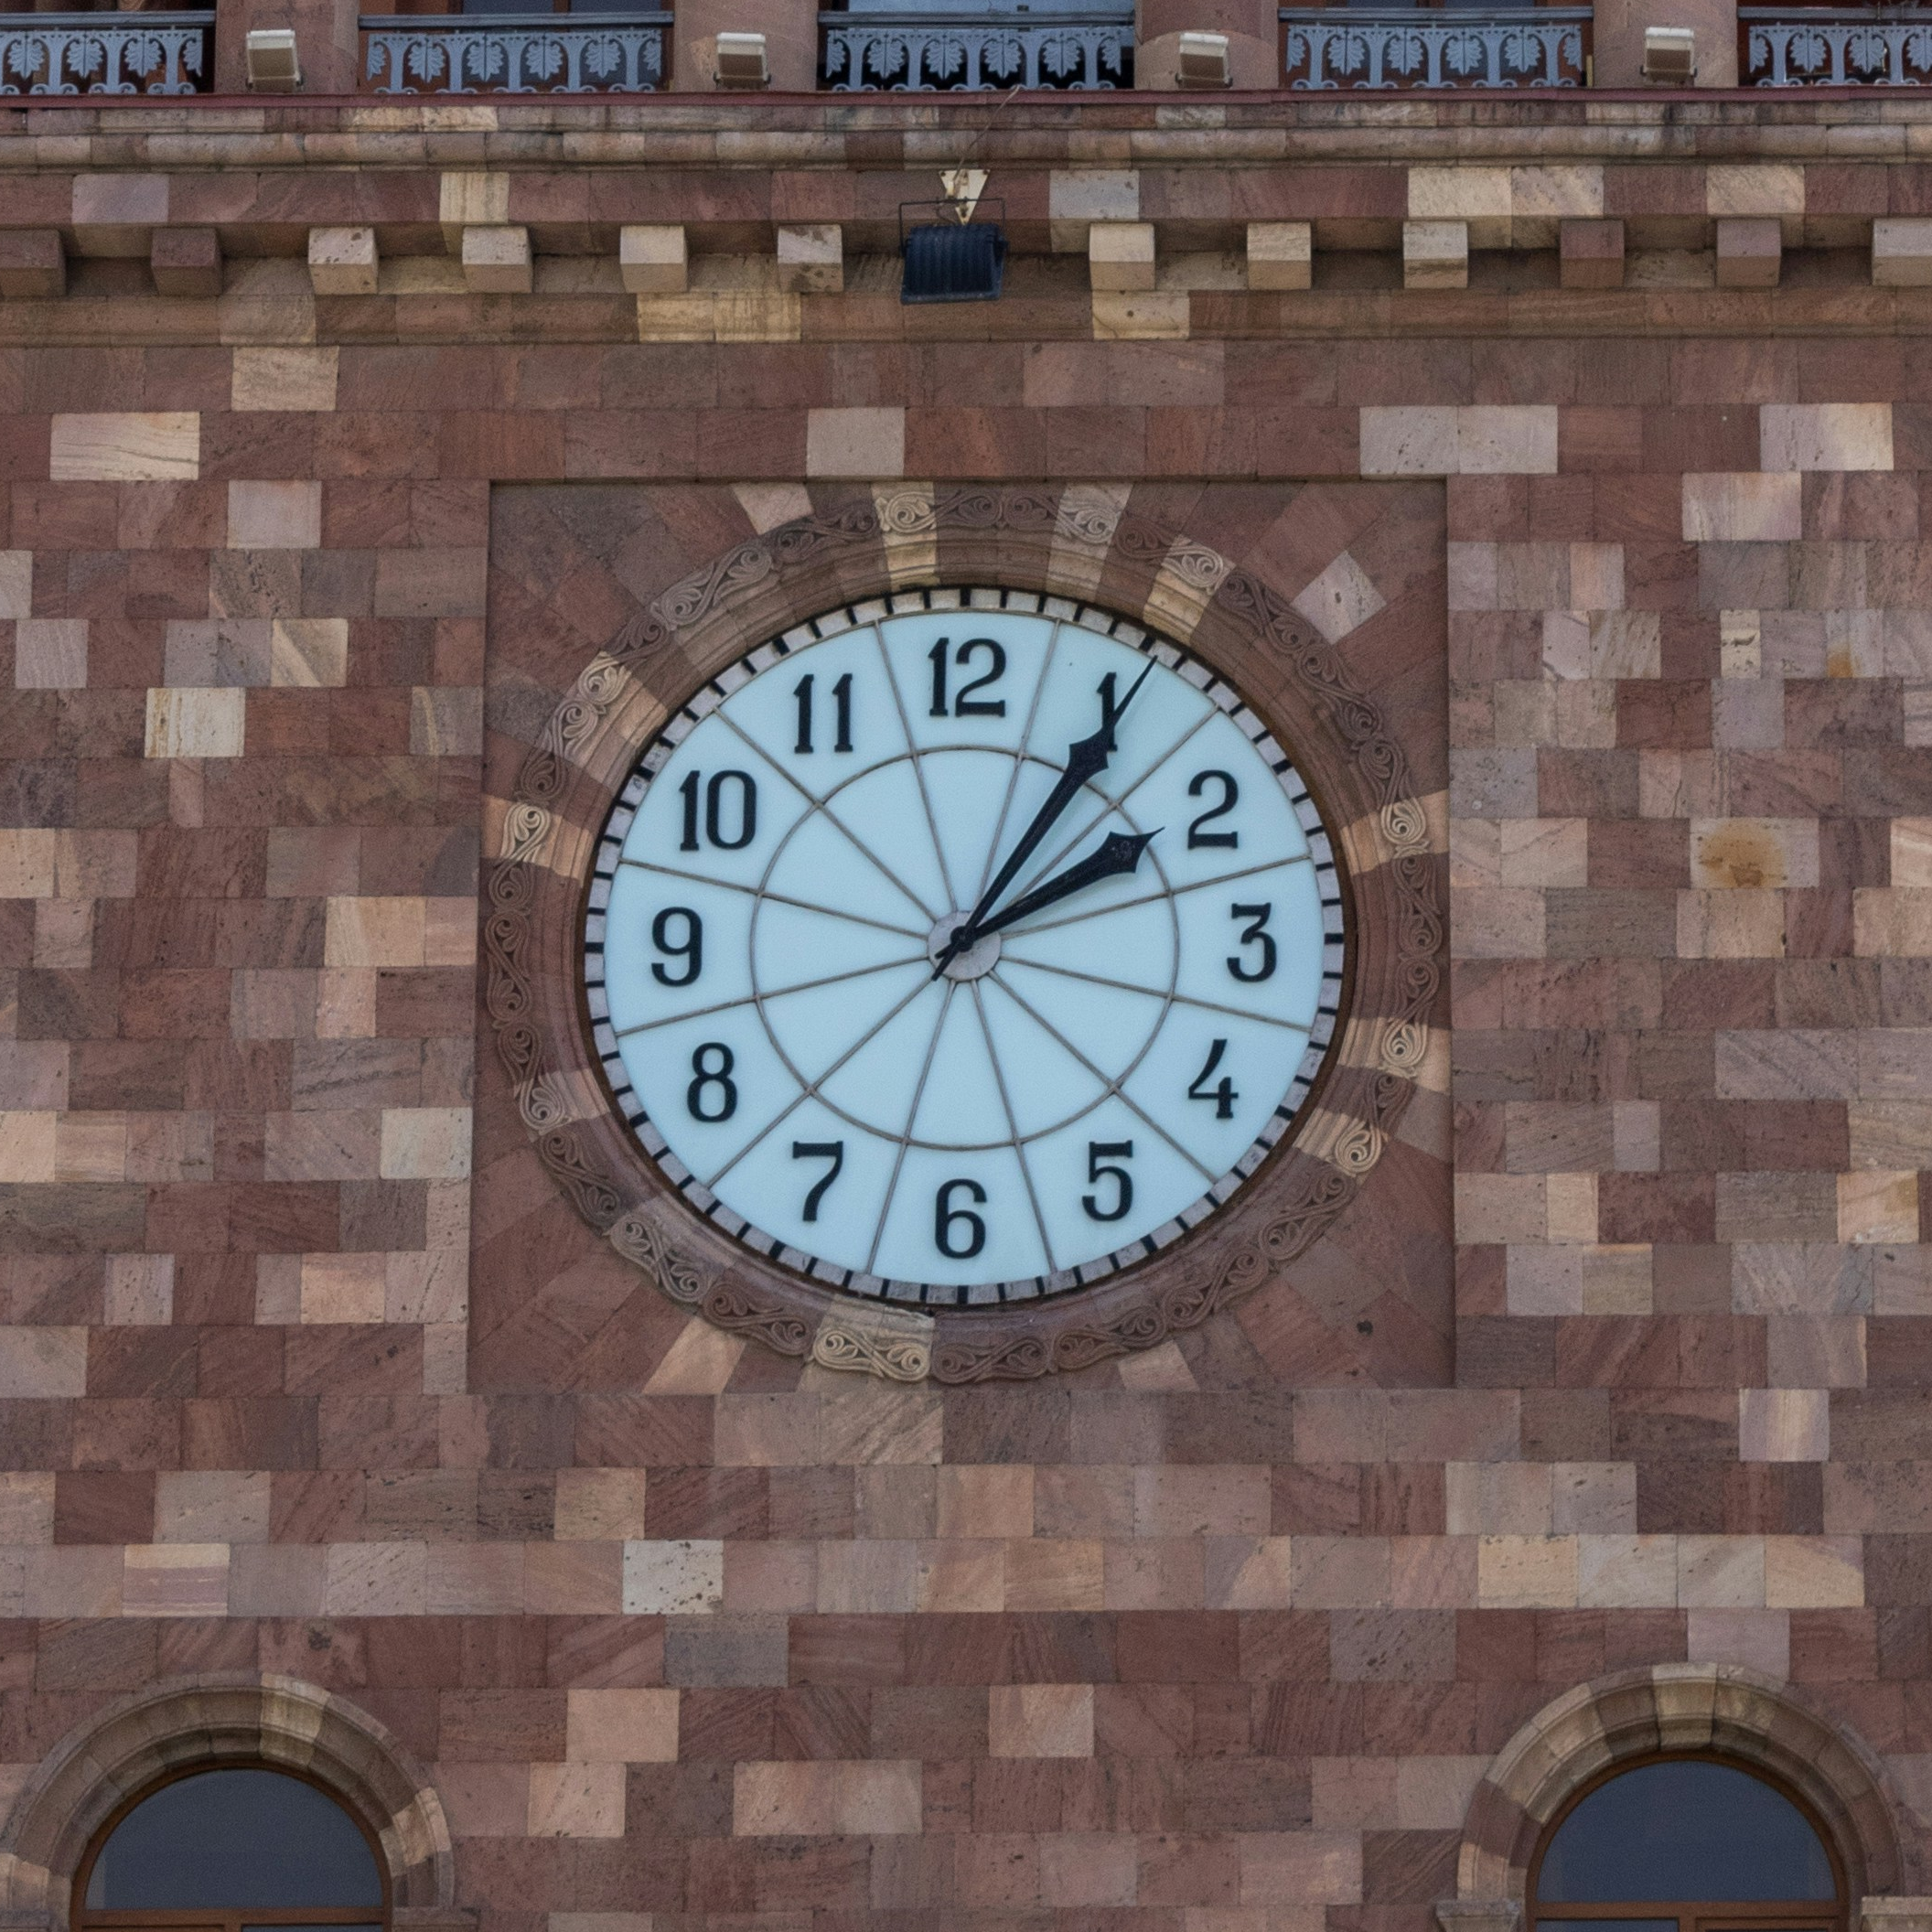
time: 2:05
